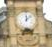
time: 12:07
